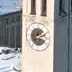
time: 2:18
